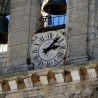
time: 2:06
